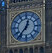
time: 12:36
